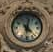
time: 11:02
